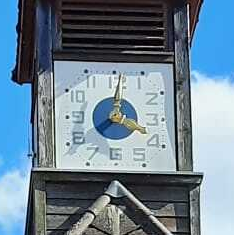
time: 4:01
